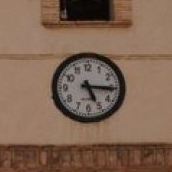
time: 5:15
